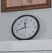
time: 11:41
